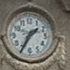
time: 1:34
